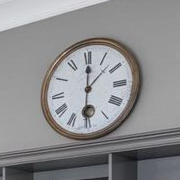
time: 12:07
